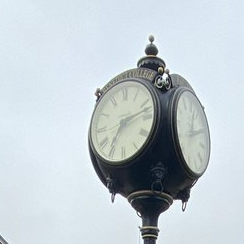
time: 7:12
